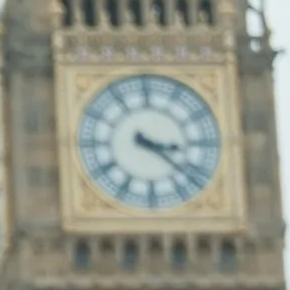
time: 3:21
